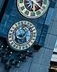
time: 8:07
